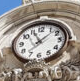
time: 11:07
